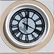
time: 4:00
